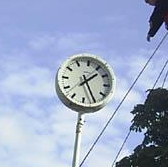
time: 1:25
